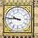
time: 9:45
